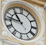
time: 10:46
